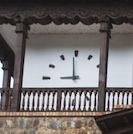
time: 8:59
